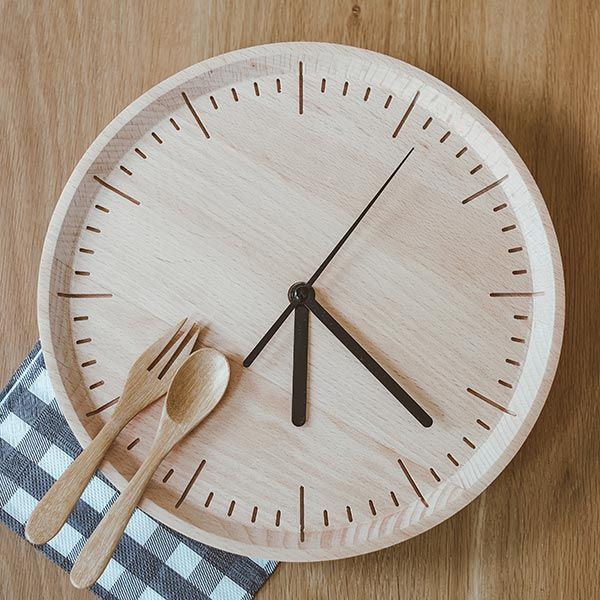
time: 6:22
